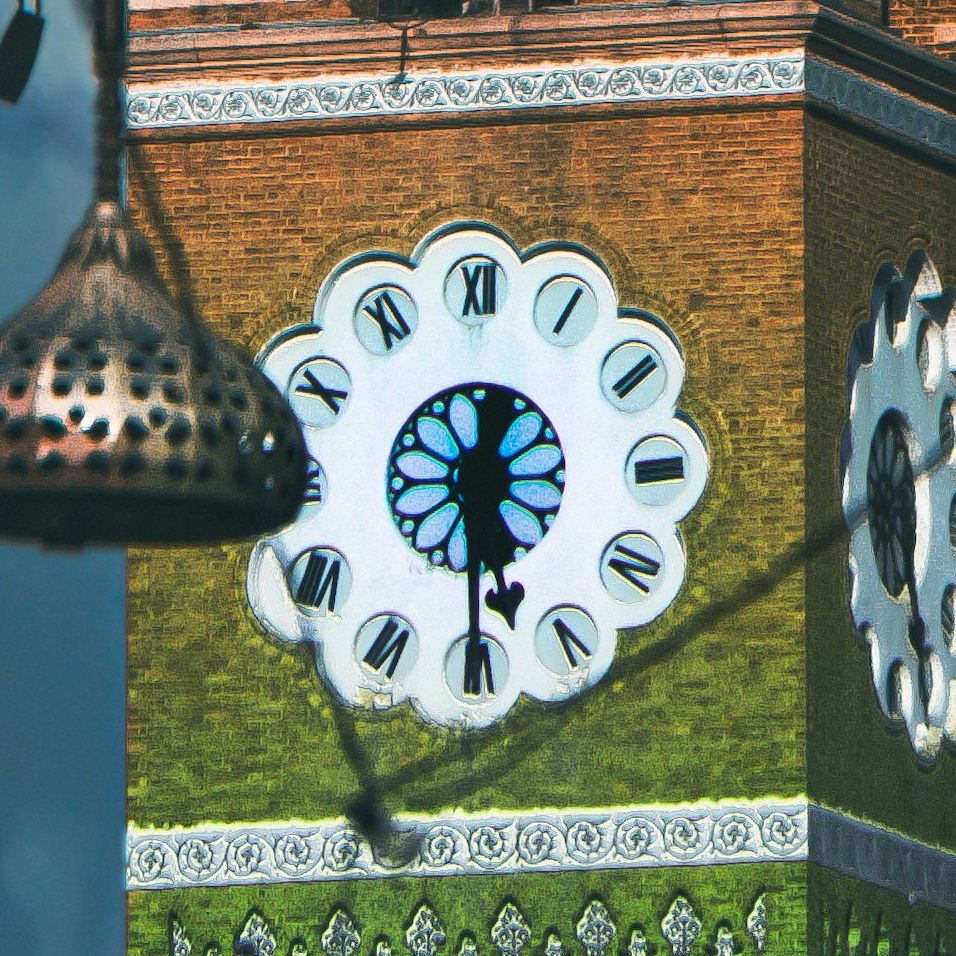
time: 5:30
